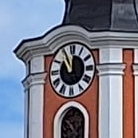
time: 11:55
